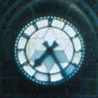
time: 7:24
